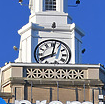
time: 8:01
